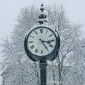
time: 3:24
